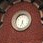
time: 5:32
